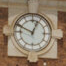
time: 12:49
